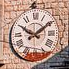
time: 1:50
